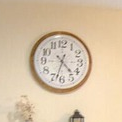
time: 4:32
